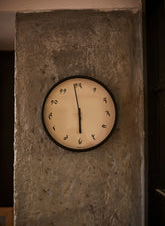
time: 5:58
